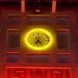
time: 7:24
